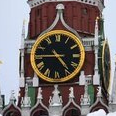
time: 4:44
